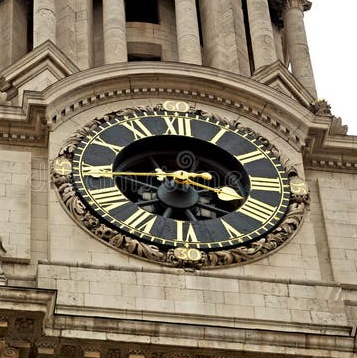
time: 3:43
